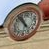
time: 10:53
